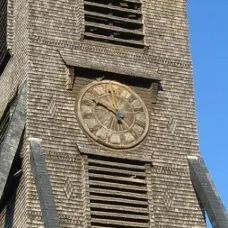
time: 9:48
